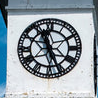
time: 11:25
